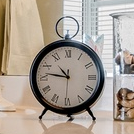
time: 10:46
